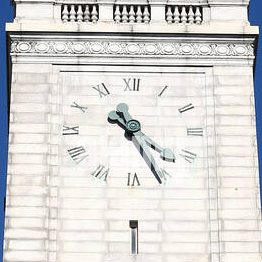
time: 4:25
